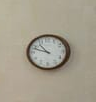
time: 10:48
